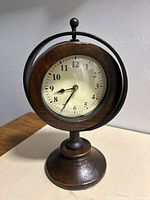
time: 8:35
